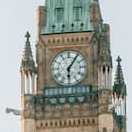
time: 6:05
